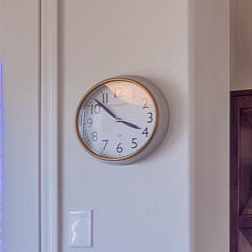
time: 3:52
